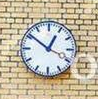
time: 12:51
